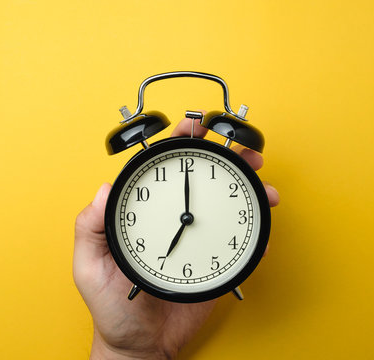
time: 7:00
